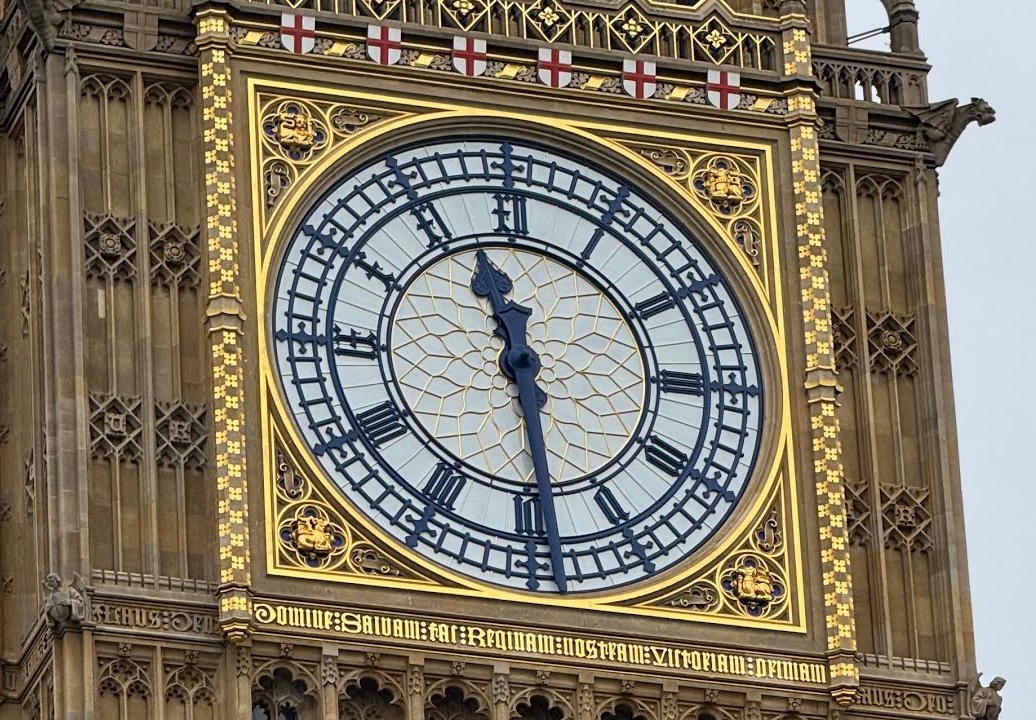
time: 11:28
